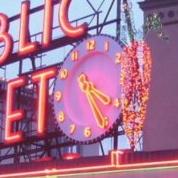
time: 4:26
